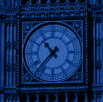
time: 10:37
